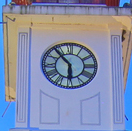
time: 5:53
